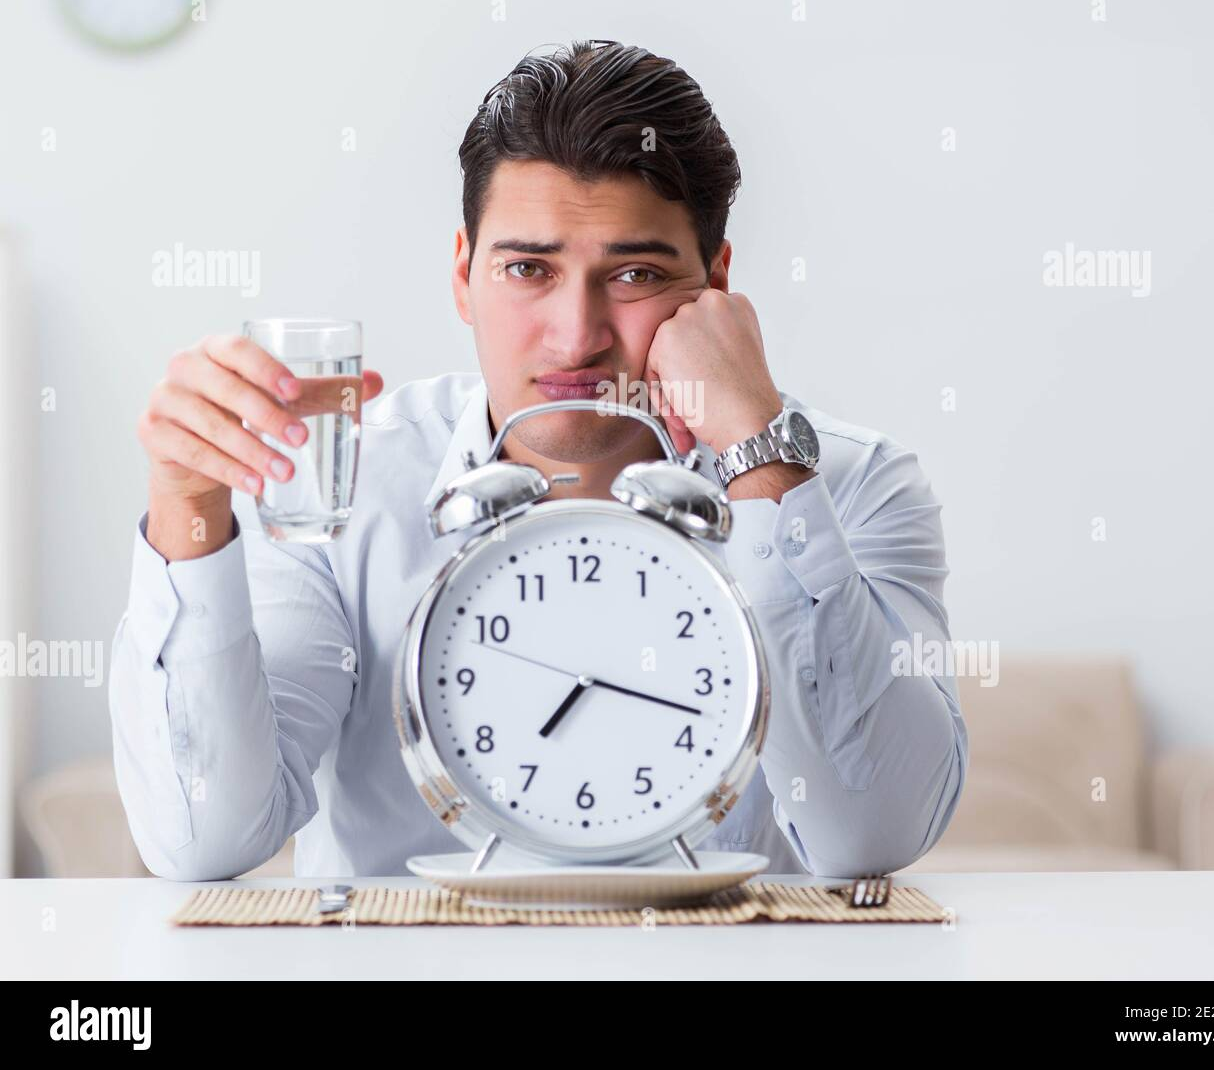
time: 7:17
